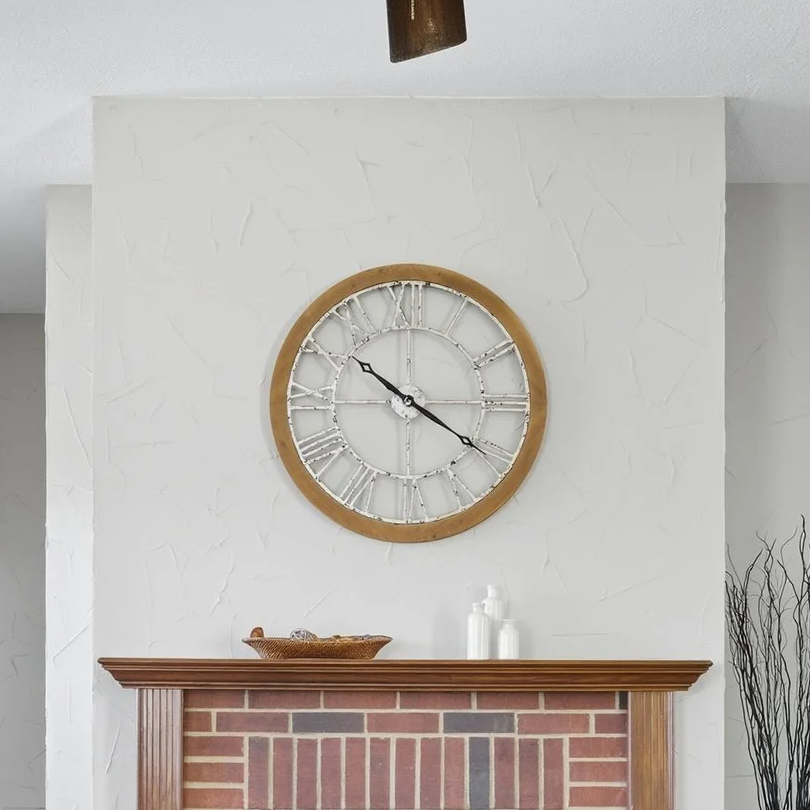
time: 10:20
